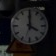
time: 4:00
